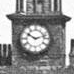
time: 10:12
